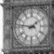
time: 1:46
